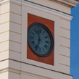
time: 11:33
